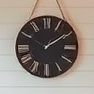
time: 1:50
